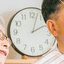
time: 2:03
